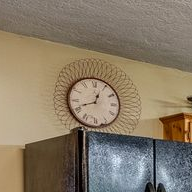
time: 12:41
